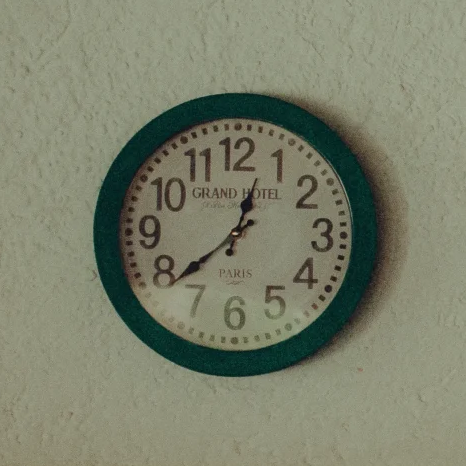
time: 12:38
